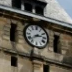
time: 2:38
